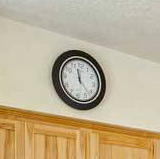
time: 11:22
